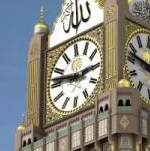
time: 2:46
